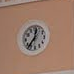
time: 12:36
